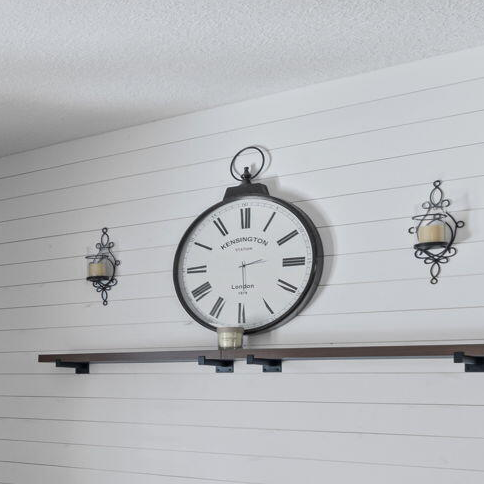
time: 2:29
